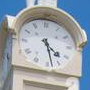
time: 4:28
